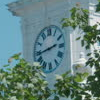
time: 2:43
